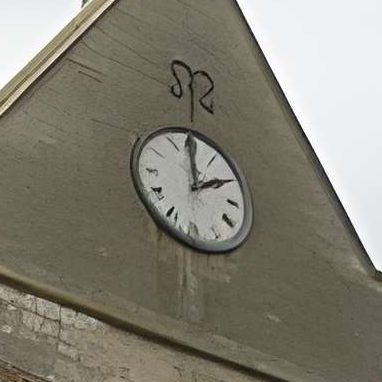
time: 1:59
